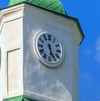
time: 5:26
